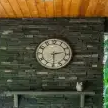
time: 2:29
